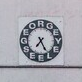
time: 7:25
